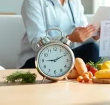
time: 9:10
